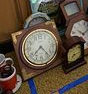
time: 7:23
